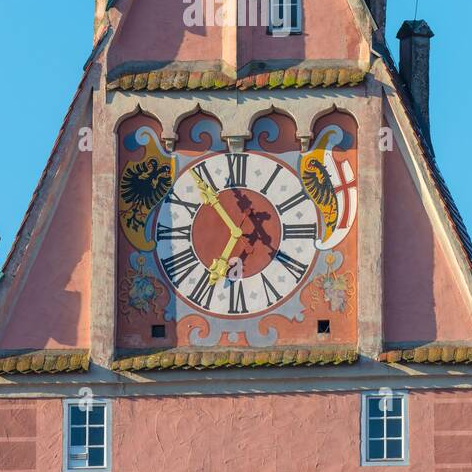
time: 6:53
